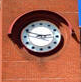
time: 2:48
